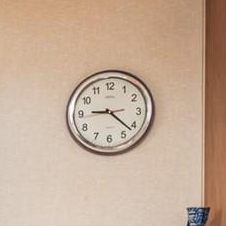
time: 9:21
